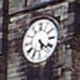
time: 5:22
